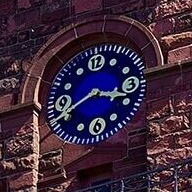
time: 3:40
